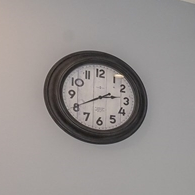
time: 2:40
